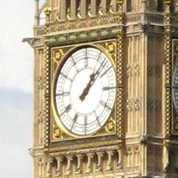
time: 1:07
